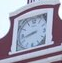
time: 8:42
